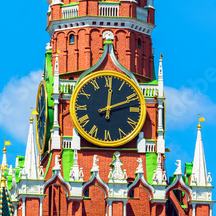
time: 12:11
